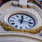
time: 12:14
